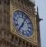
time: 7:04
